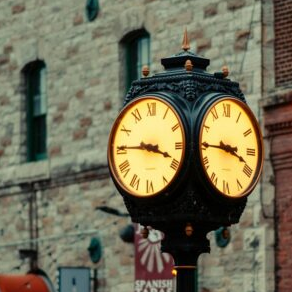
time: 3:45
